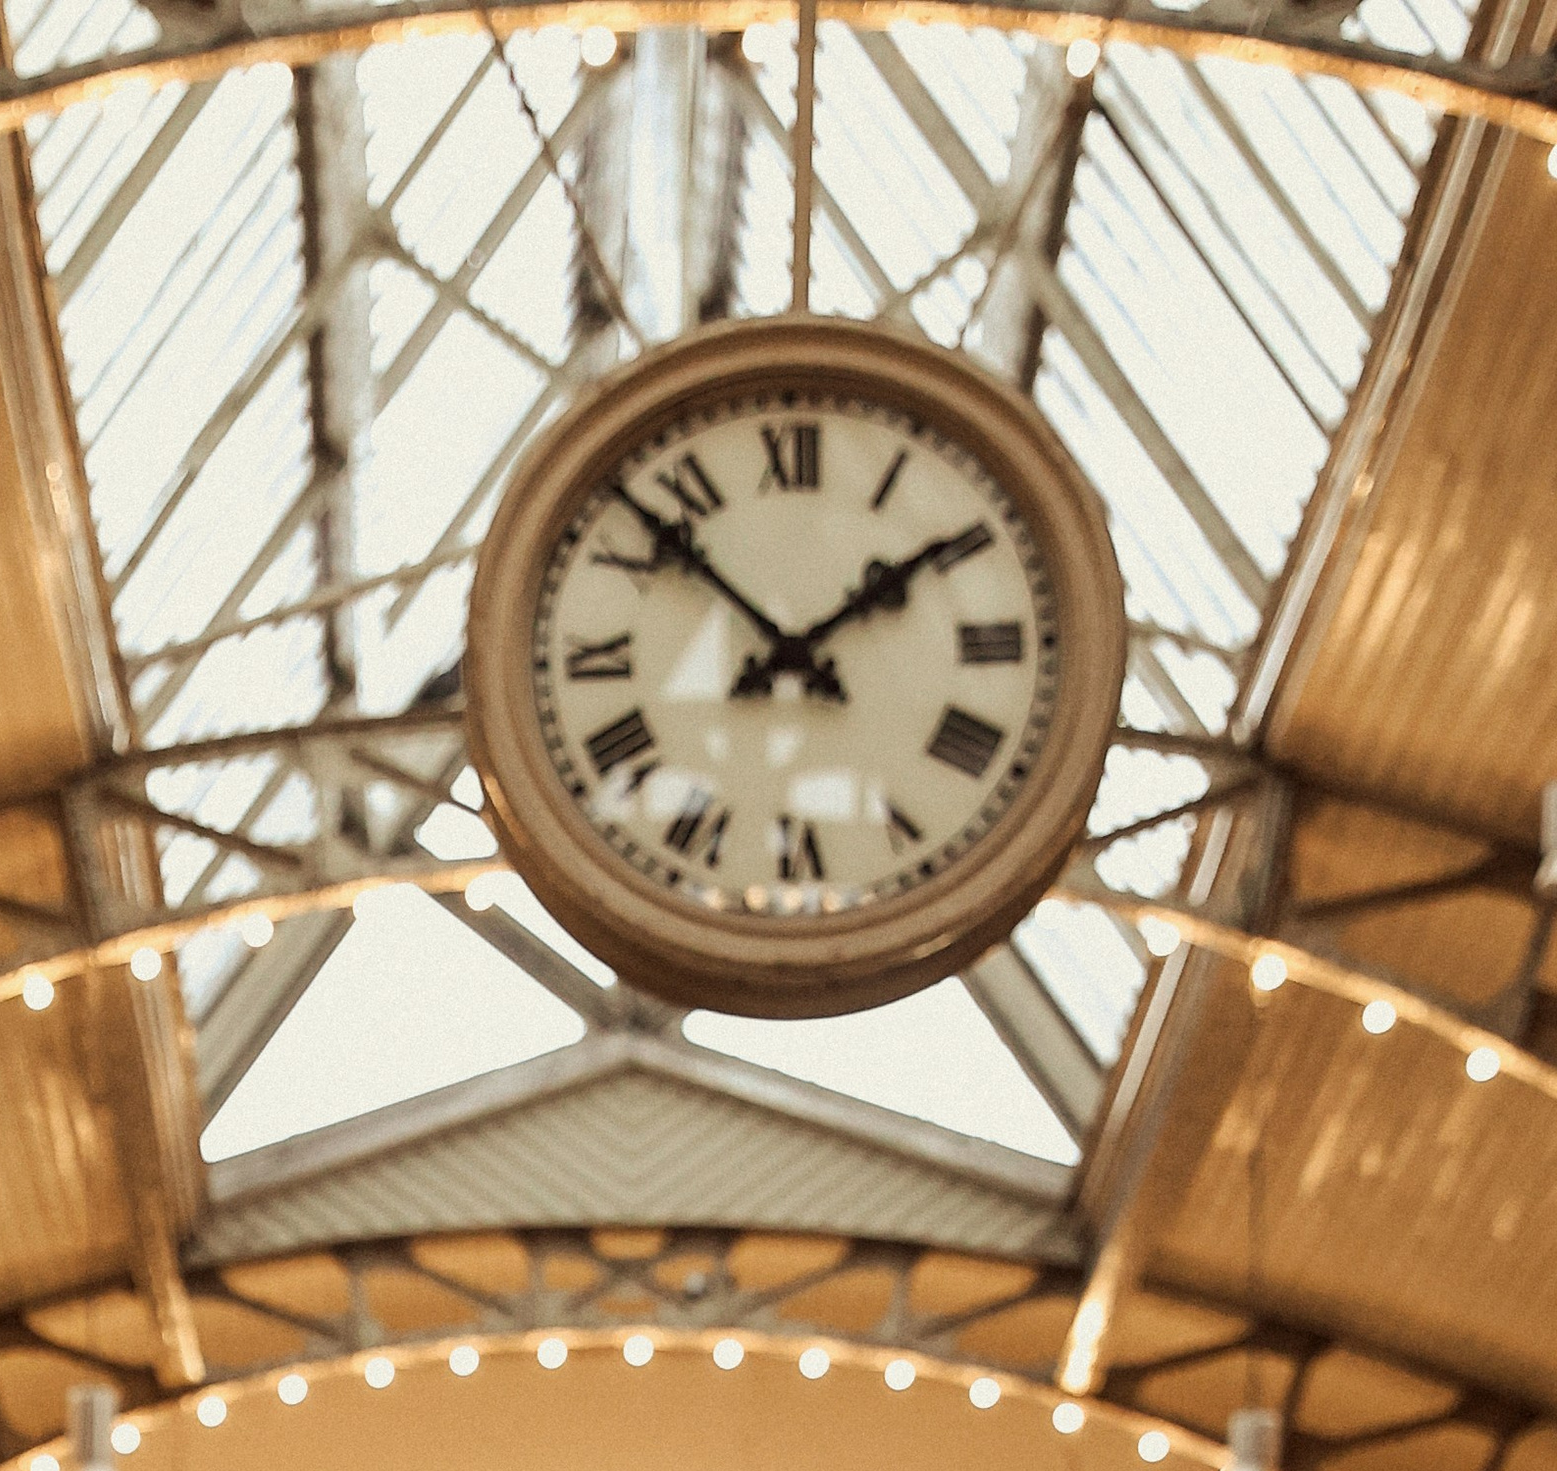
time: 1:52
